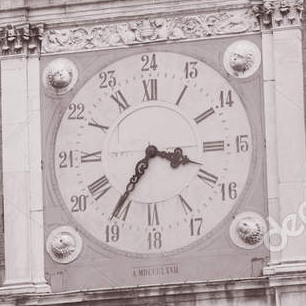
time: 3:35
